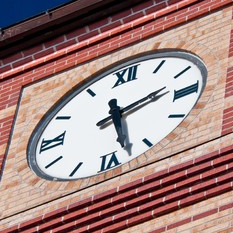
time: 2:27
